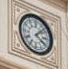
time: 4:07
